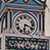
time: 6:18
